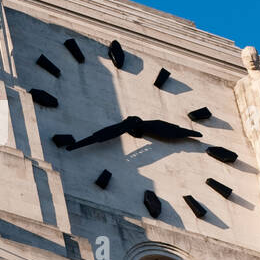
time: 2:39
